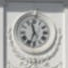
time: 11:33
